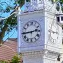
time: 2:44
